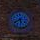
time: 5:40
